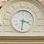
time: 3:31
